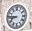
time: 8:46
